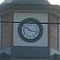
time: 10:17
